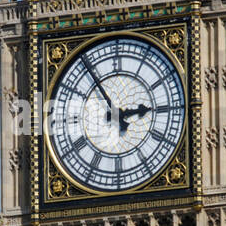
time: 2:54
